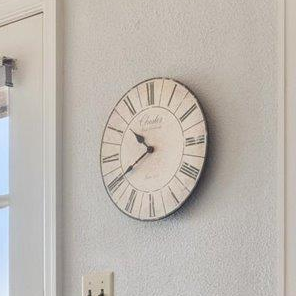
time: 10:39
